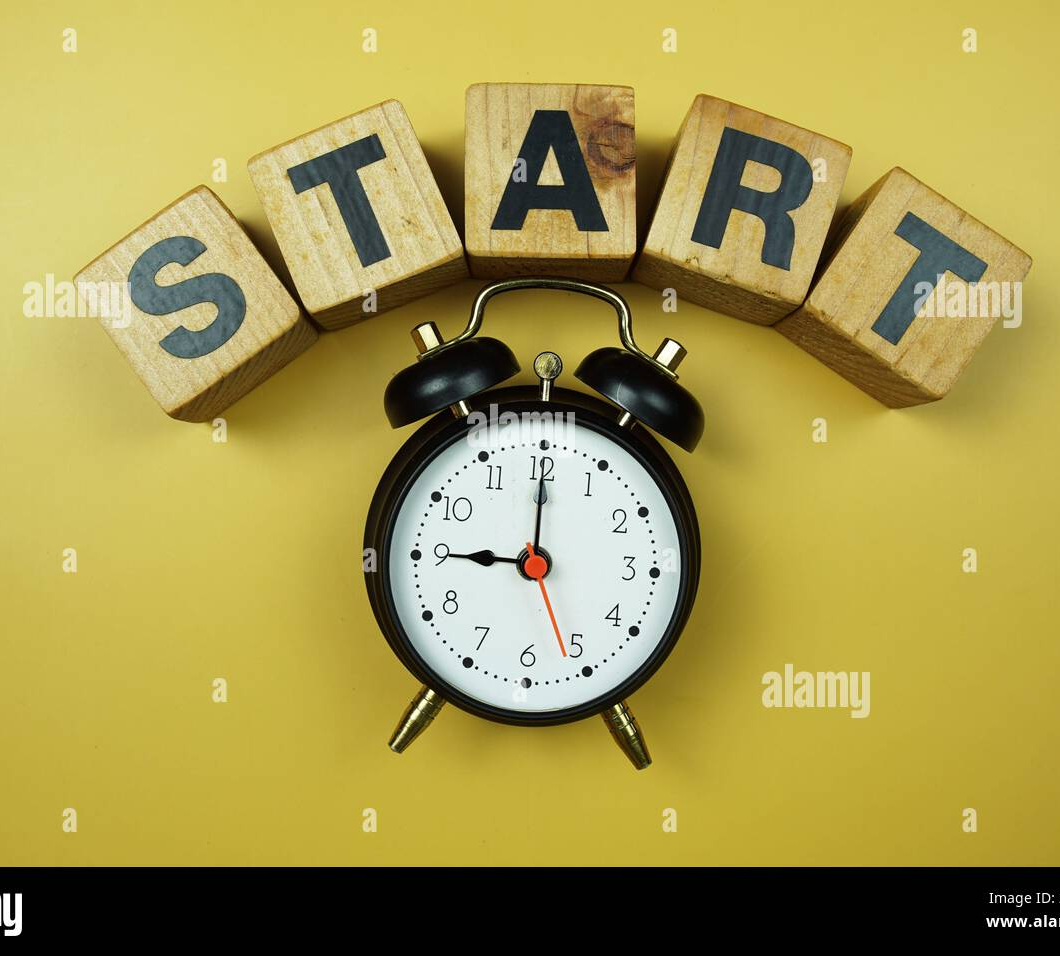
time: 9:00
